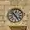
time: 4:52
